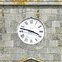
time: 3:47
